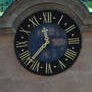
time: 11:36
